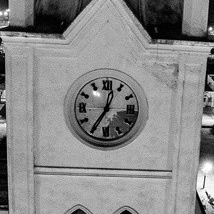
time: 12:35
